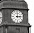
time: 3:01
